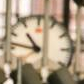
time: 10:46
